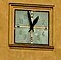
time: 12:57
